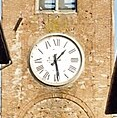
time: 1:28
